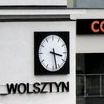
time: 3:27
